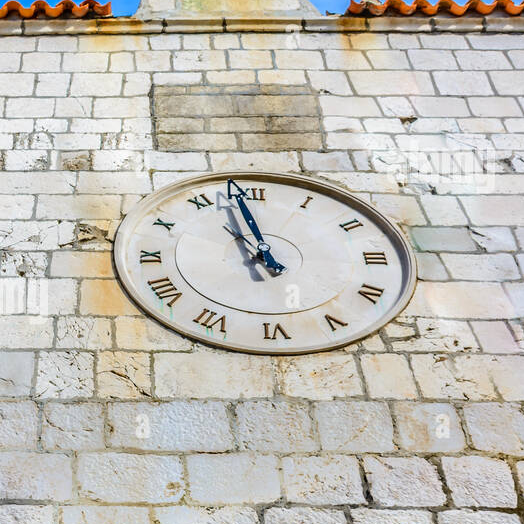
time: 10:58
